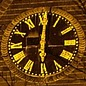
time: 6:00
